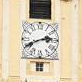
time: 2:40
